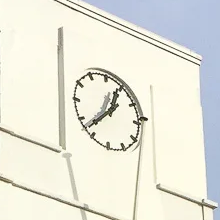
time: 12:37
